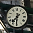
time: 7:30
